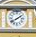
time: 1:39
